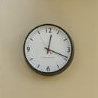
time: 12:18
